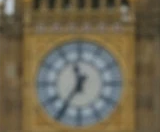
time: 11:35
